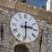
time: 2:29
